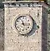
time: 11:16
